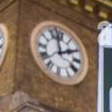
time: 1:57
